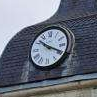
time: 10:19
